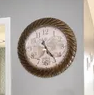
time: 11:23
